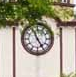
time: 4:56
